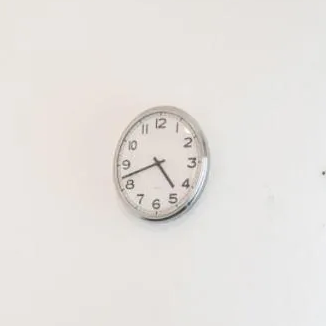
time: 4:42
